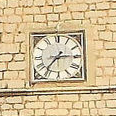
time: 2:36
